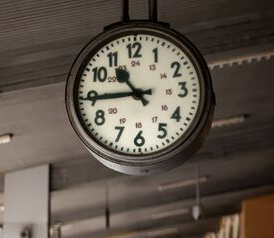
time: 10:44
